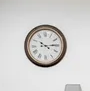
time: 10:14
